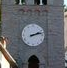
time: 2:12
